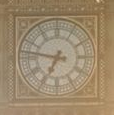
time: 6:47
